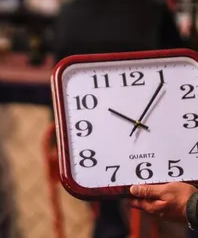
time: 10:05
